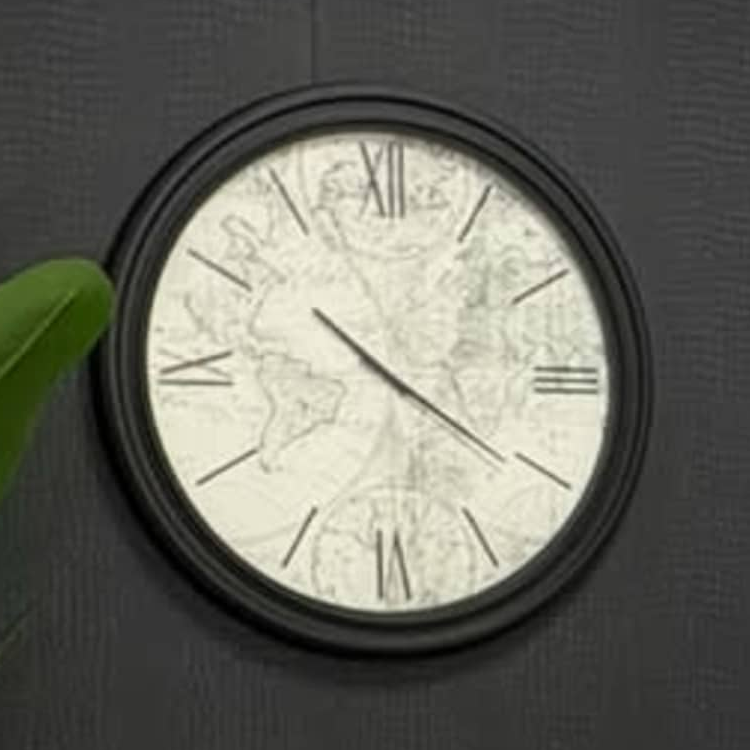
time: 10:20
